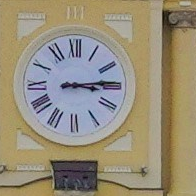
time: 3:13
